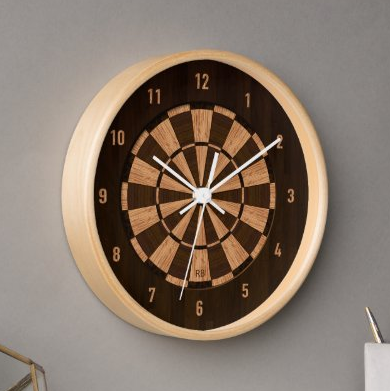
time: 12:32
